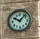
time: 10:07
